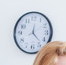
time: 12:23
